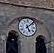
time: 5:07
